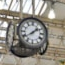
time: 1:39
